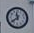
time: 11:38
